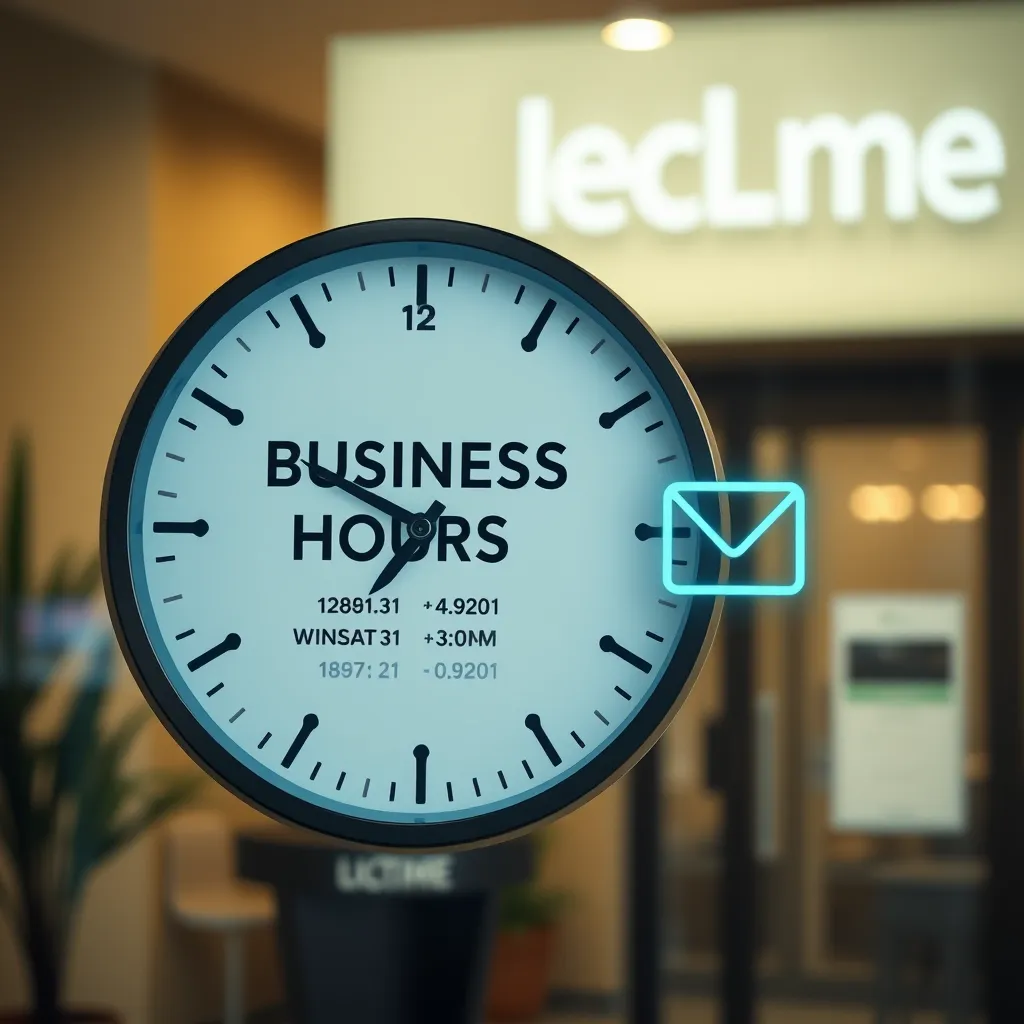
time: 7:49
